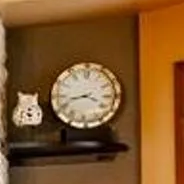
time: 3:42
